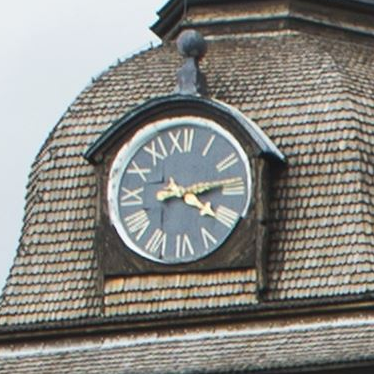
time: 4:13
